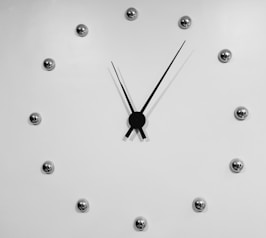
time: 11:06
